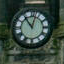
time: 11:02
